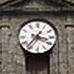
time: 3:36
